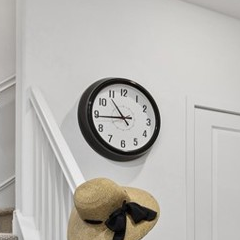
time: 10:44
